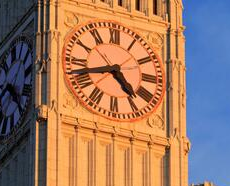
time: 4:42
